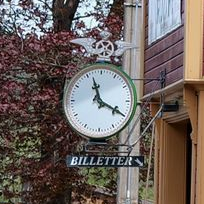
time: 11:19
